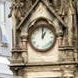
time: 1:00
